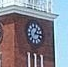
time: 1:16
